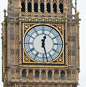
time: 12:27
